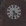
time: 4:31
